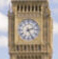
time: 2:25
